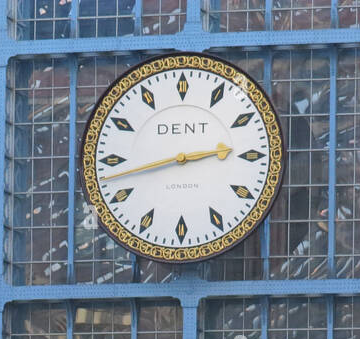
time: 2:42
